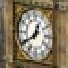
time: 12:40
